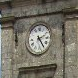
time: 2:24
